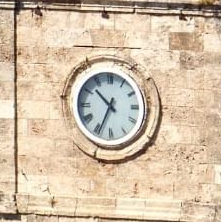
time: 10:34
